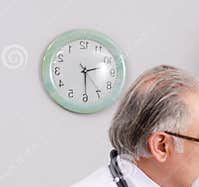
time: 2:29
